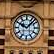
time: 10:07
